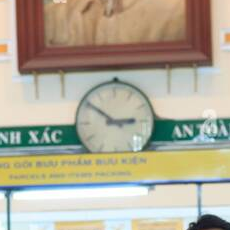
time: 2:50
